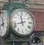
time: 11:42
